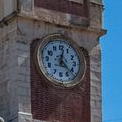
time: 12:22
